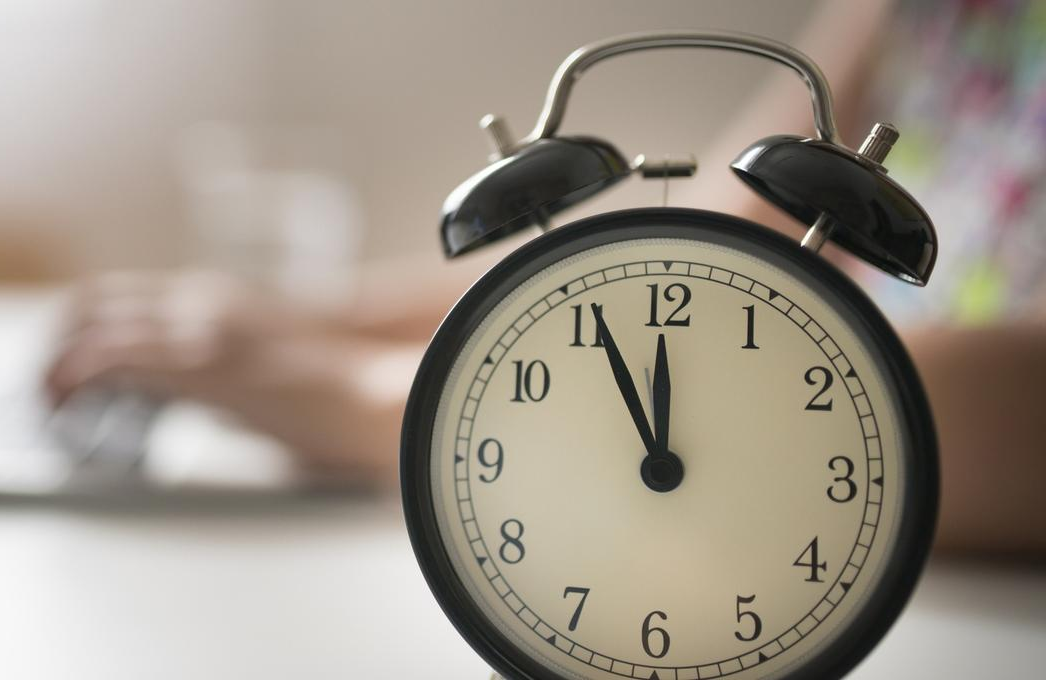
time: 11:55
